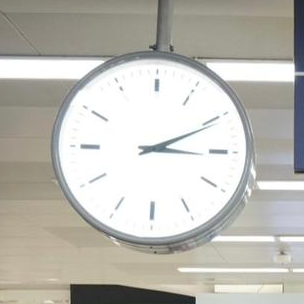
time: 3:10
